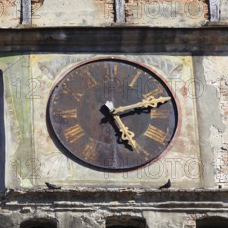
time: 5:11
